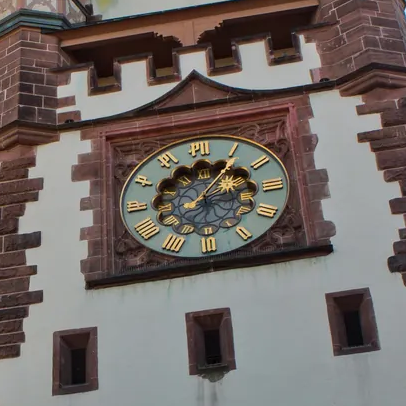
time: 2:06
